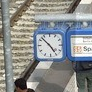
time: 4:52
